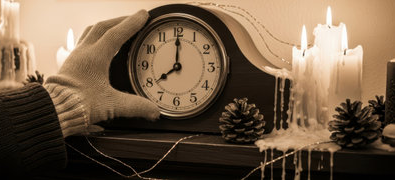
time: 8:00
